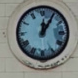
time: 12:05
